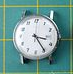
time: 3:24
